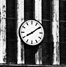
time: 8:09
